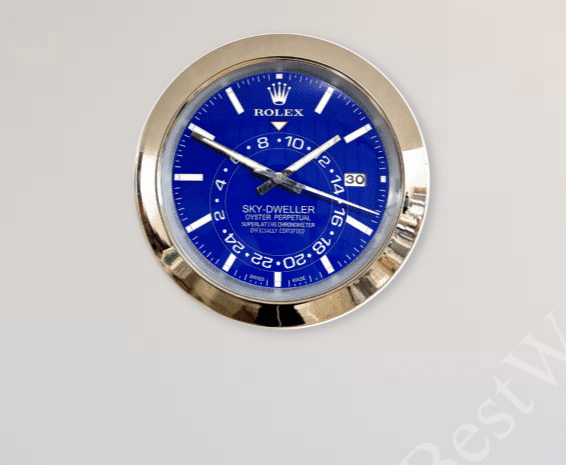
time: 1:49
